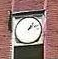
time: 1:11
